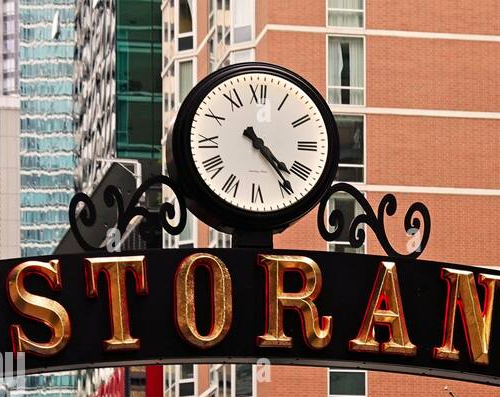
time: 4:23
